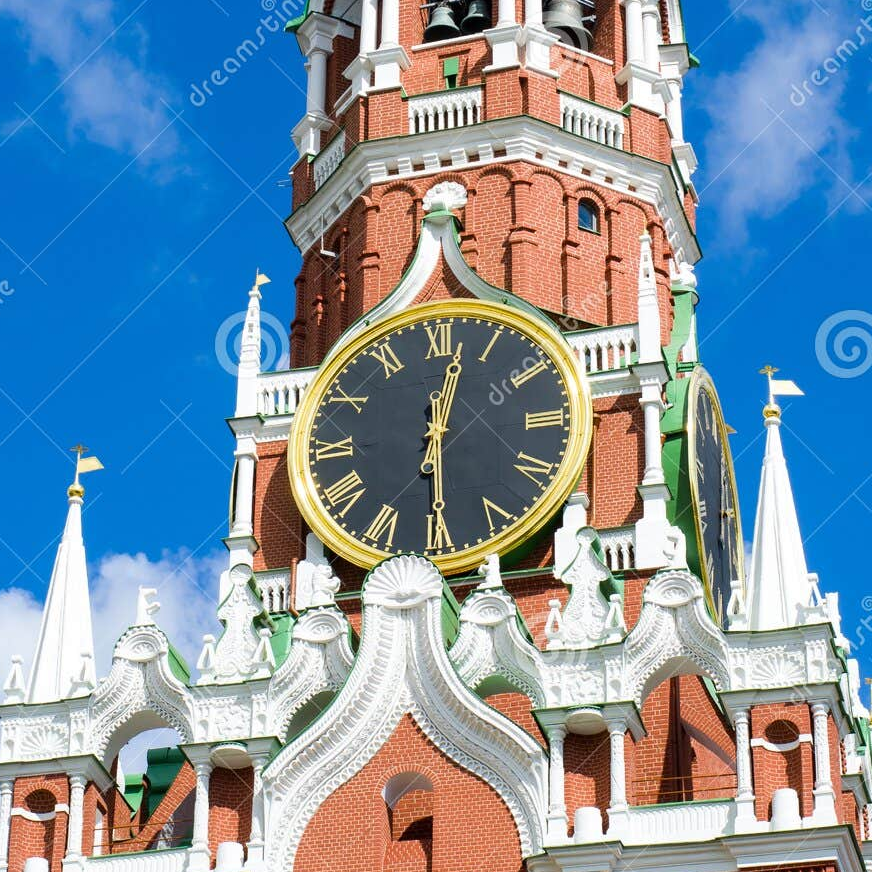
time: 12:29
